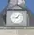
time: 9:07
